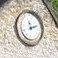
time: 11:11
